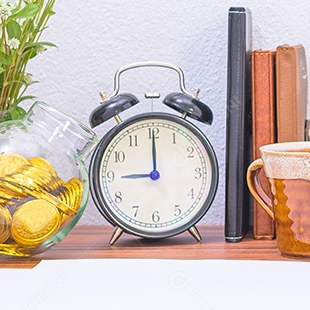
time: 9:00
